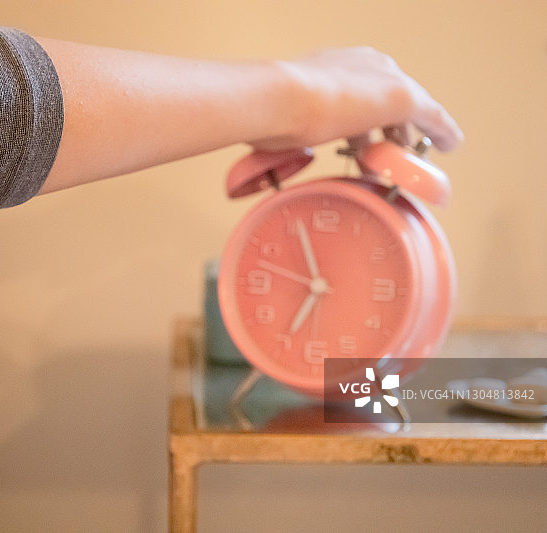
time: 6:56
